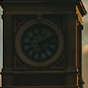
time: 5:11
